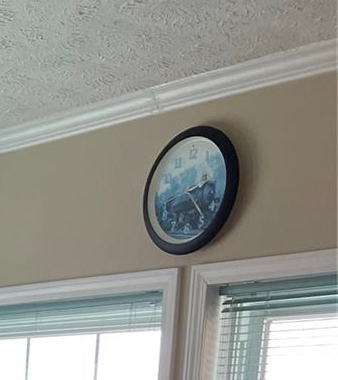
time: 2:23
